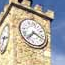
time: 7:18
